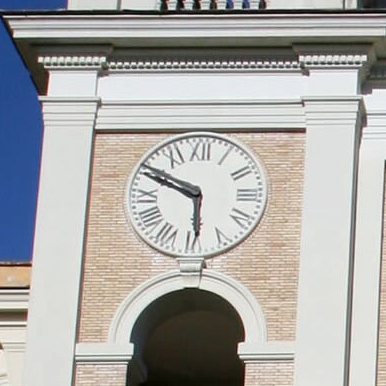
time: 5:49
